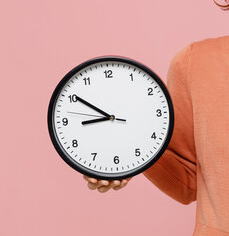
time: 8:50
